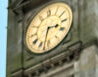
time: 3:32
